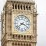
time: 3:38
